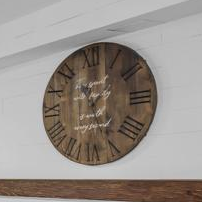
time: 12:26
